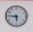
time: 5:45
